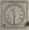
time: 11:29
